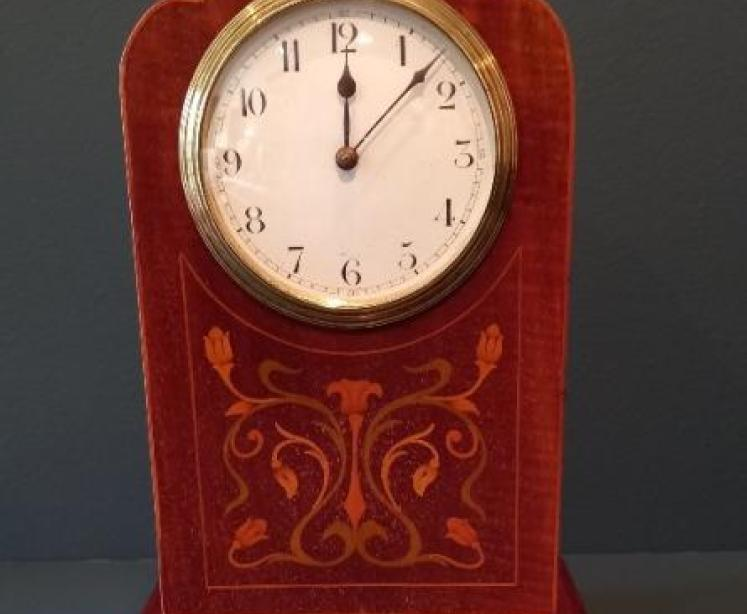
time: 12:07
